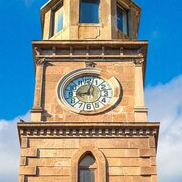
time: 9:02
